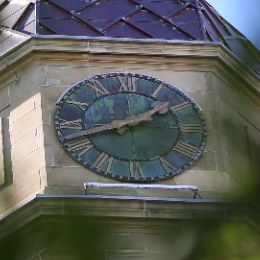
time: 1:42
